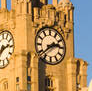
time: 2:38
